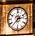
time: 2:36
